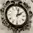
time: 2:02
